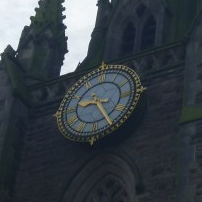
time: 9:25
